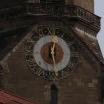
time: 12:28
